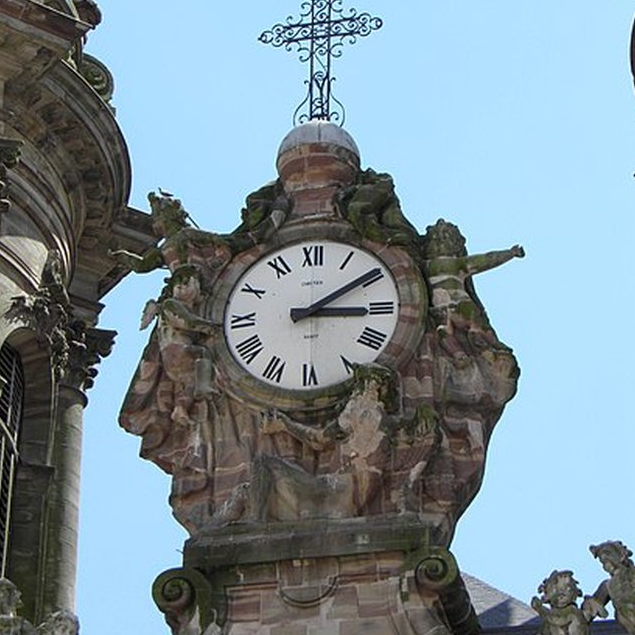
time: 3:09
